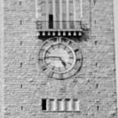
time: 4:46
